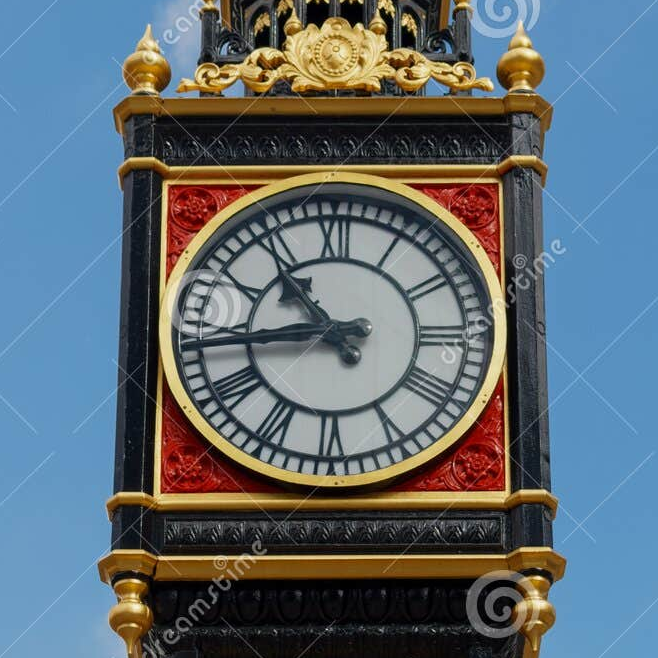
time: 10:43
